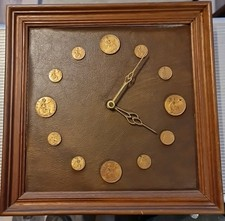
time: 4:06
